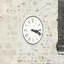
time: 3:18
